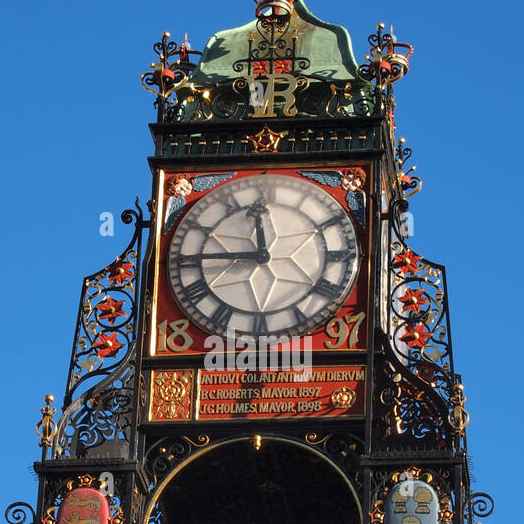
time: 11:44
